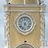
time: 4:33
